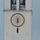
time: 5:31
